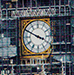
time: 3:49
